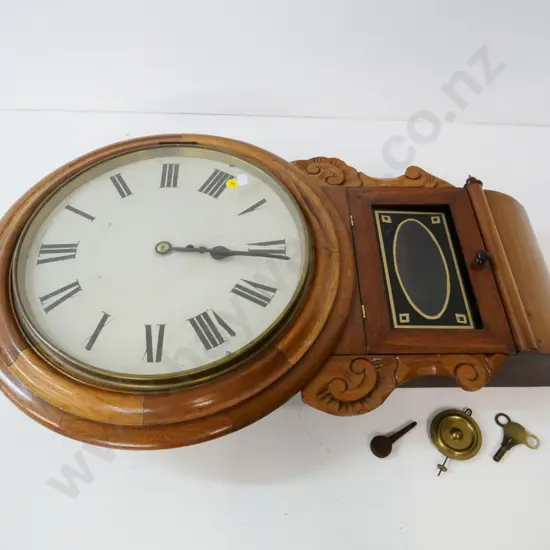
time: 3:15
